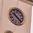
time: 10:22
